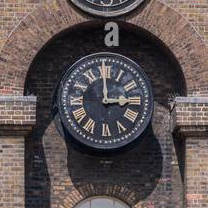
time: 2:59
